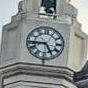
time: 4:44
